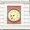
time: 8:36
